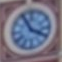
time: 3:55
